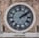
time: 2:09
